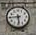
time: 5:44
